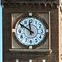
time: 11:50
